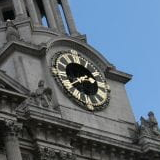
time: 2:39
